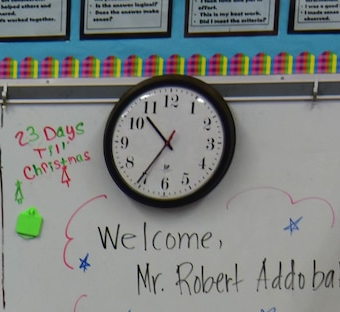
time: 10:35
